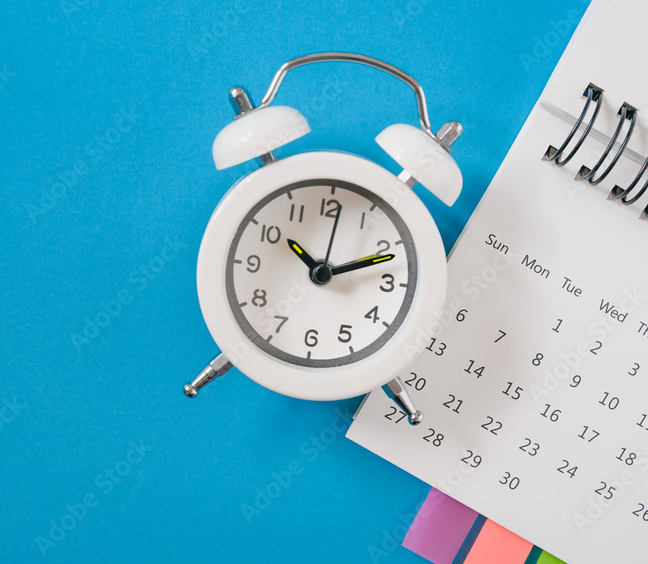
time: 10:11
